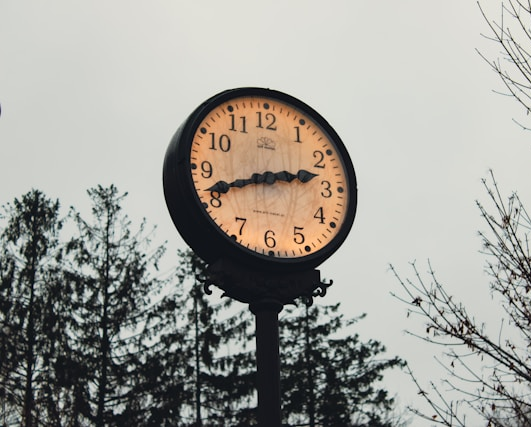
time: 2:41
